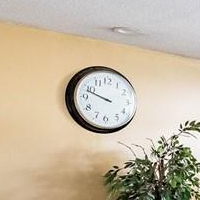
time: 9:48
